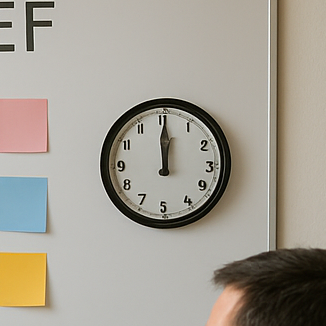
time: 11:59
